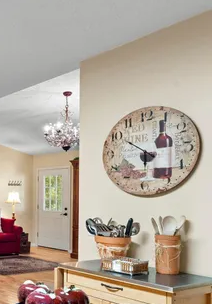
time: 5:50
